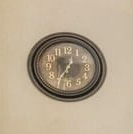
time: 12:35
